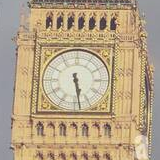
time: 5:28
